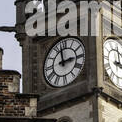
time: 2:58
